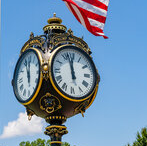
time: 11:57
